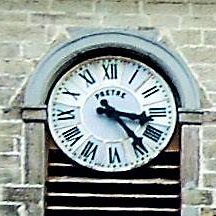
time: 3:23
